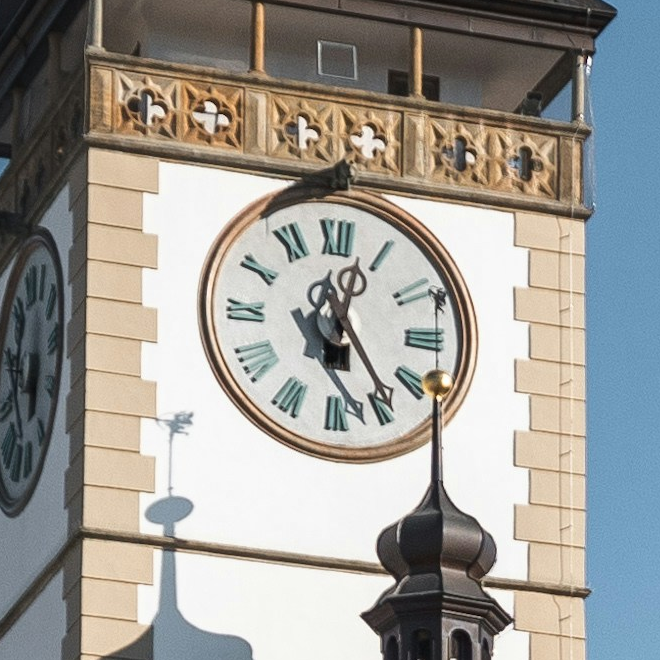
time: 12:23
